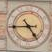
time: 4:44
